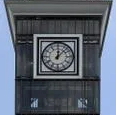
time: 12:07
